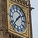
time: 1:37
